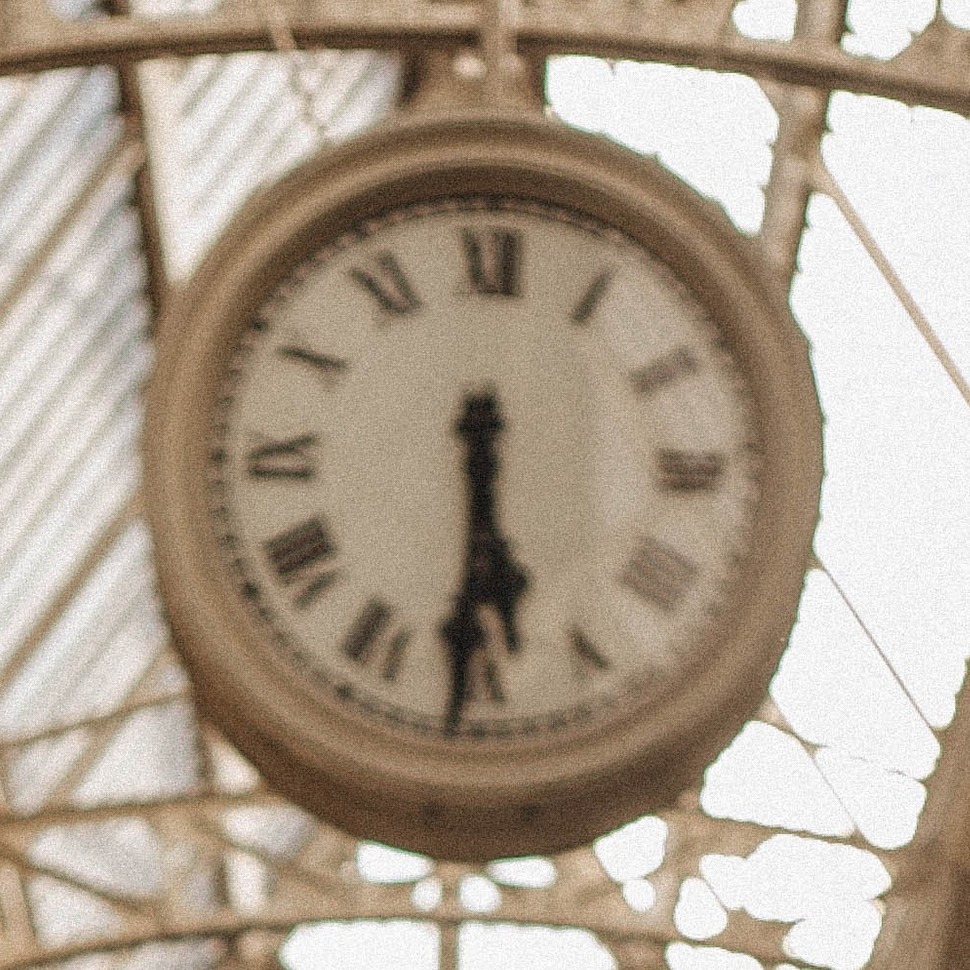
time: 5:30
